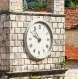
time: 9:53
